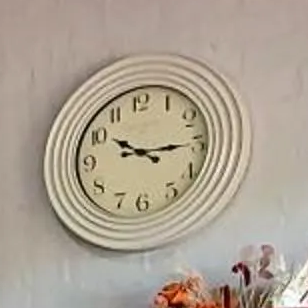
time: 10:14
